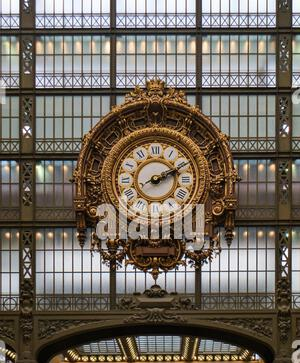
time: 2:11
